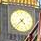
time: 4:37
